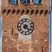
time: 7:23
